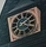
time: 4:08
